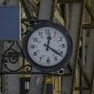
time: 12:21
